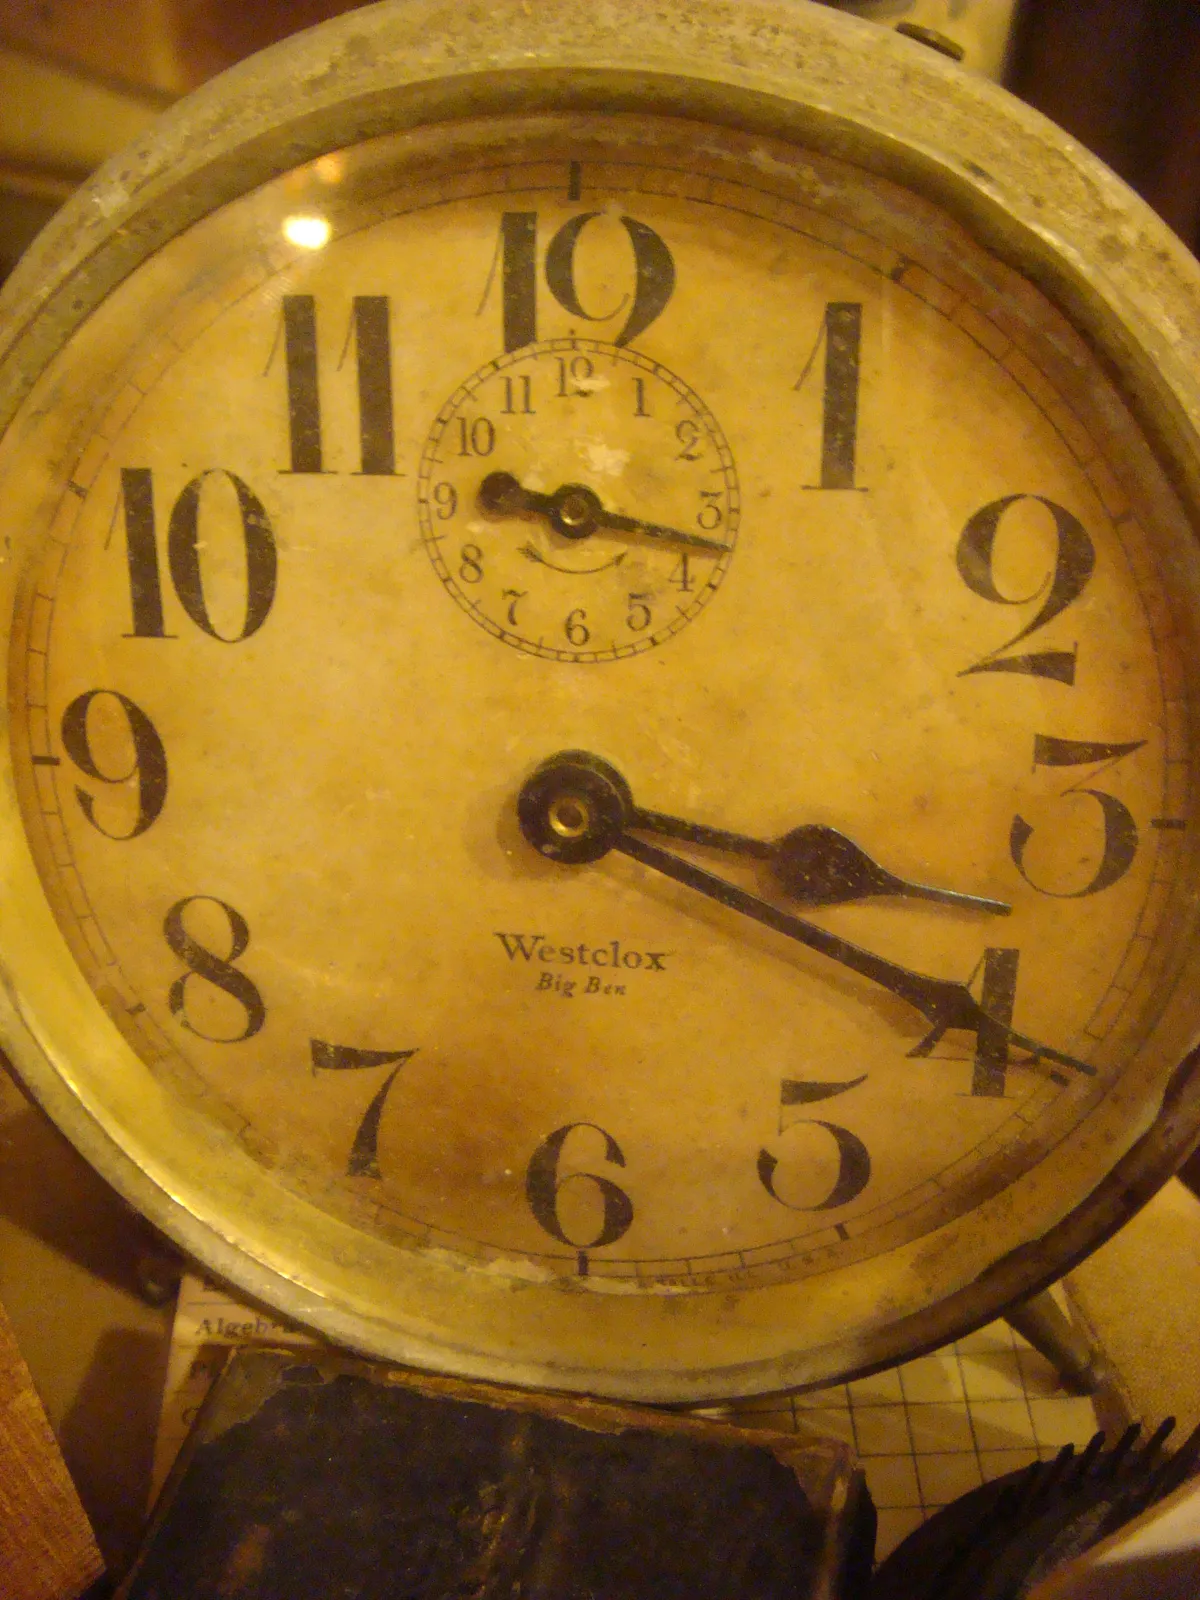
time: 3:19
